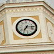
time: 7:15
